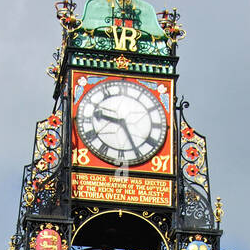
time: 9:25
